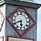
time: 5:40
